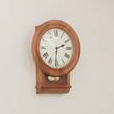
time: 2:30
